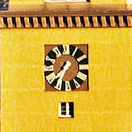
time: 7:34
